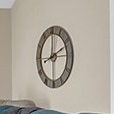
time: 2:00
